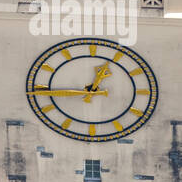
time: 12:44
